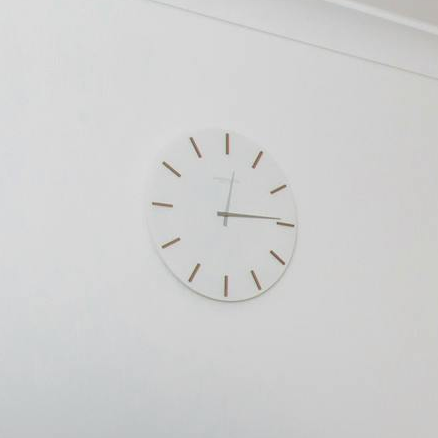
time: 12:14
